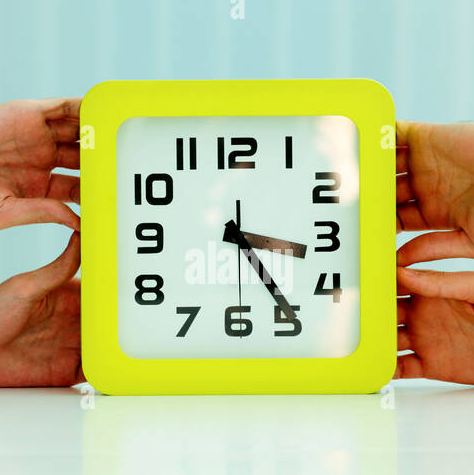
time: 3:24
